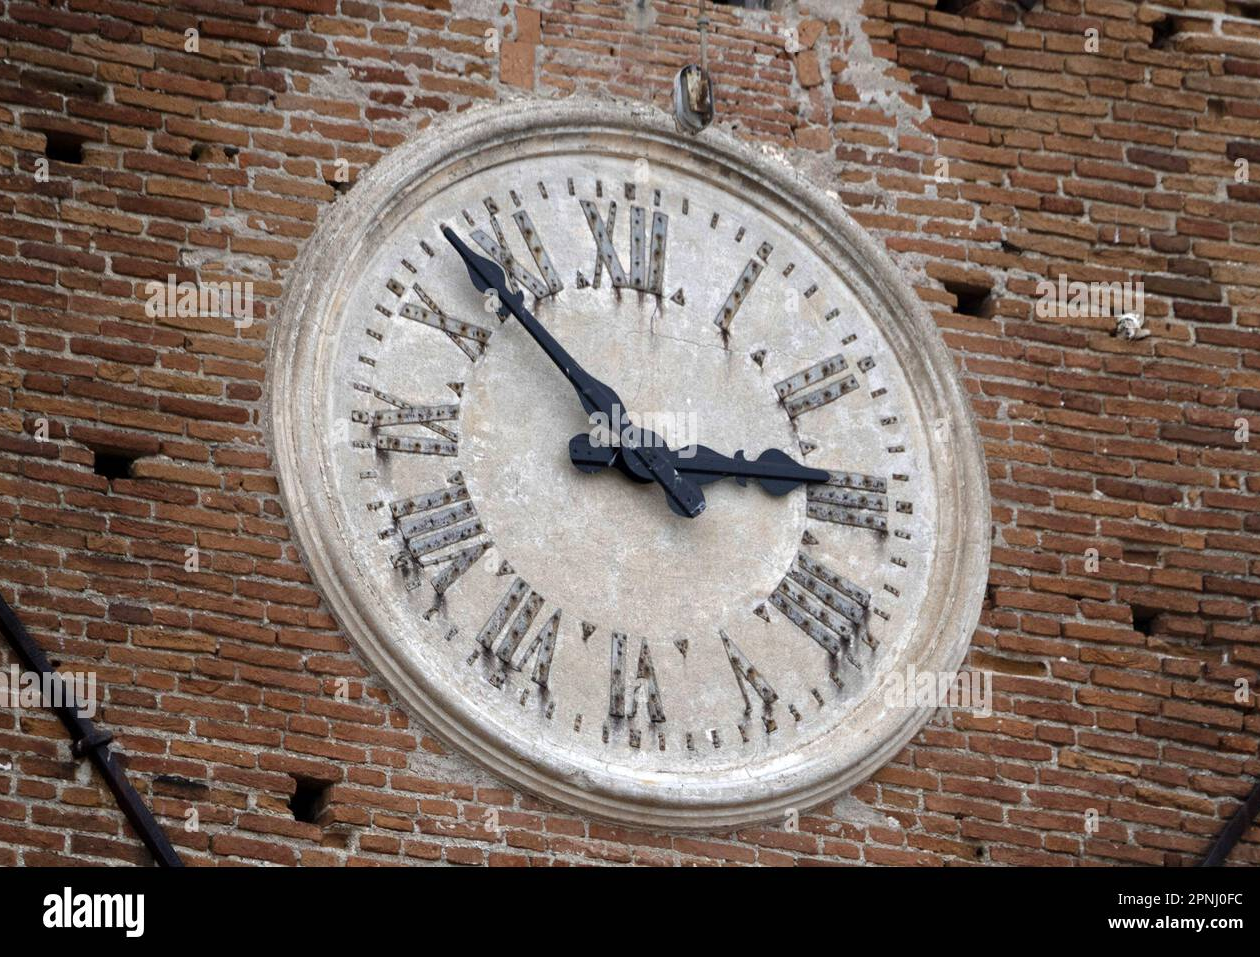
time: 2:52
